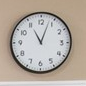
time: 11:03
